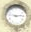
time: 2:46
